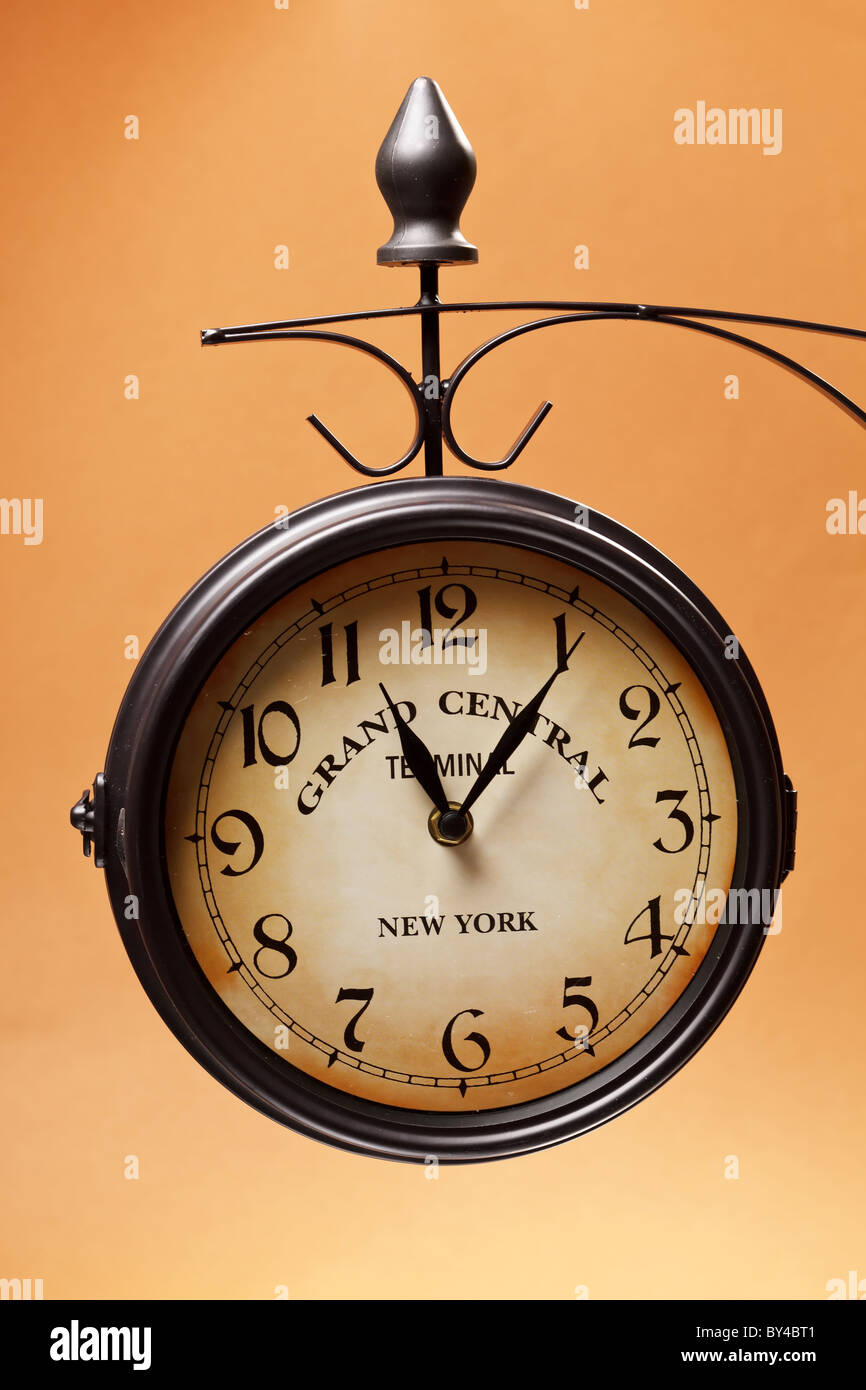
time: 11:06
